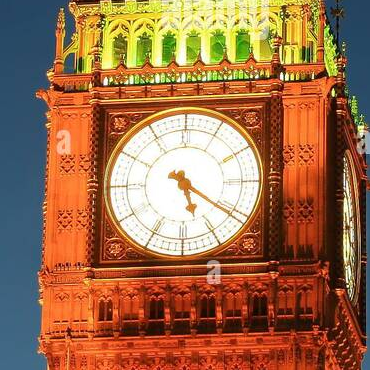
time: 5:20
